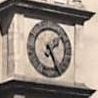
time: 1:24
